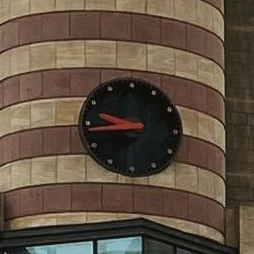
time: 9:44
